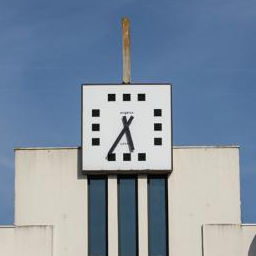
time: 5:35
